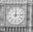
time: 12:14
